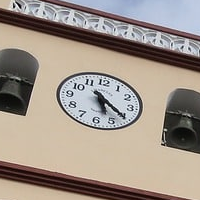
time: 5:20
